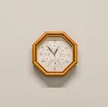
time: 12:53
